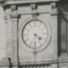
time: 4:31
